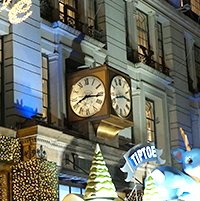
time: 8:16
